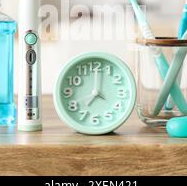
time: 7:00
